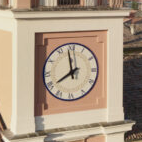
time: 7:58
